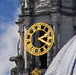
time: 2:19
